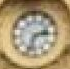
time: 2:33
